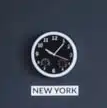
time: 1:18
